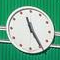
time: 11:24
